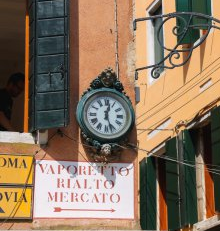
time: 12:26
